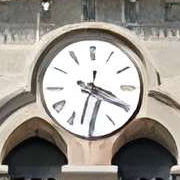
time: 3:32
